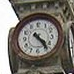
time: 4:23
